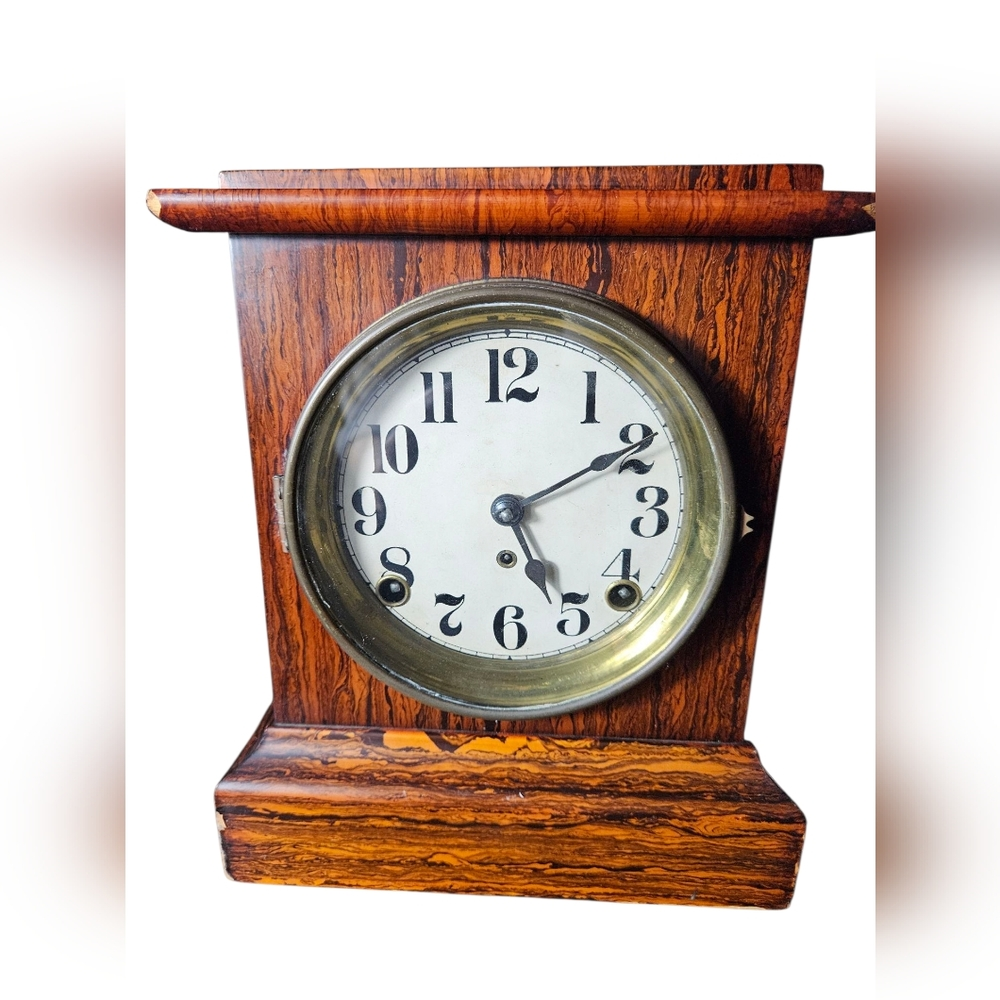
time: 5:09
